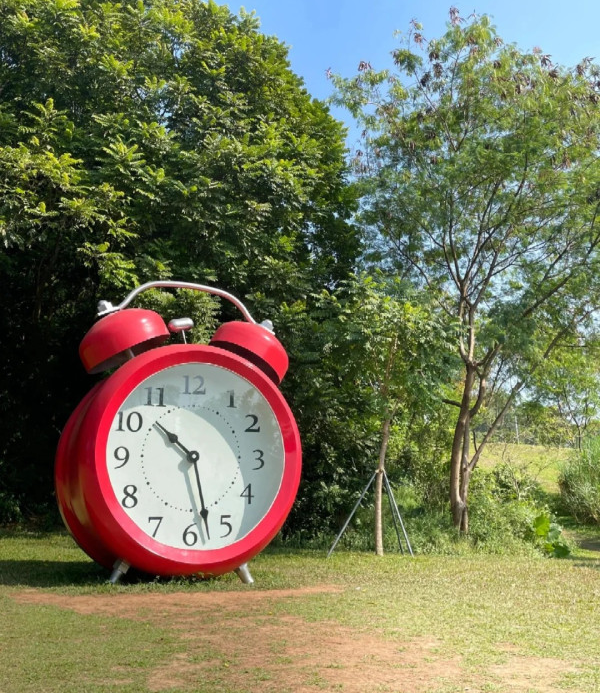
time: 10:28
